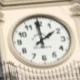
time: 1:59
